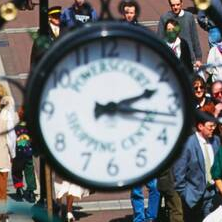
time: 2:16
